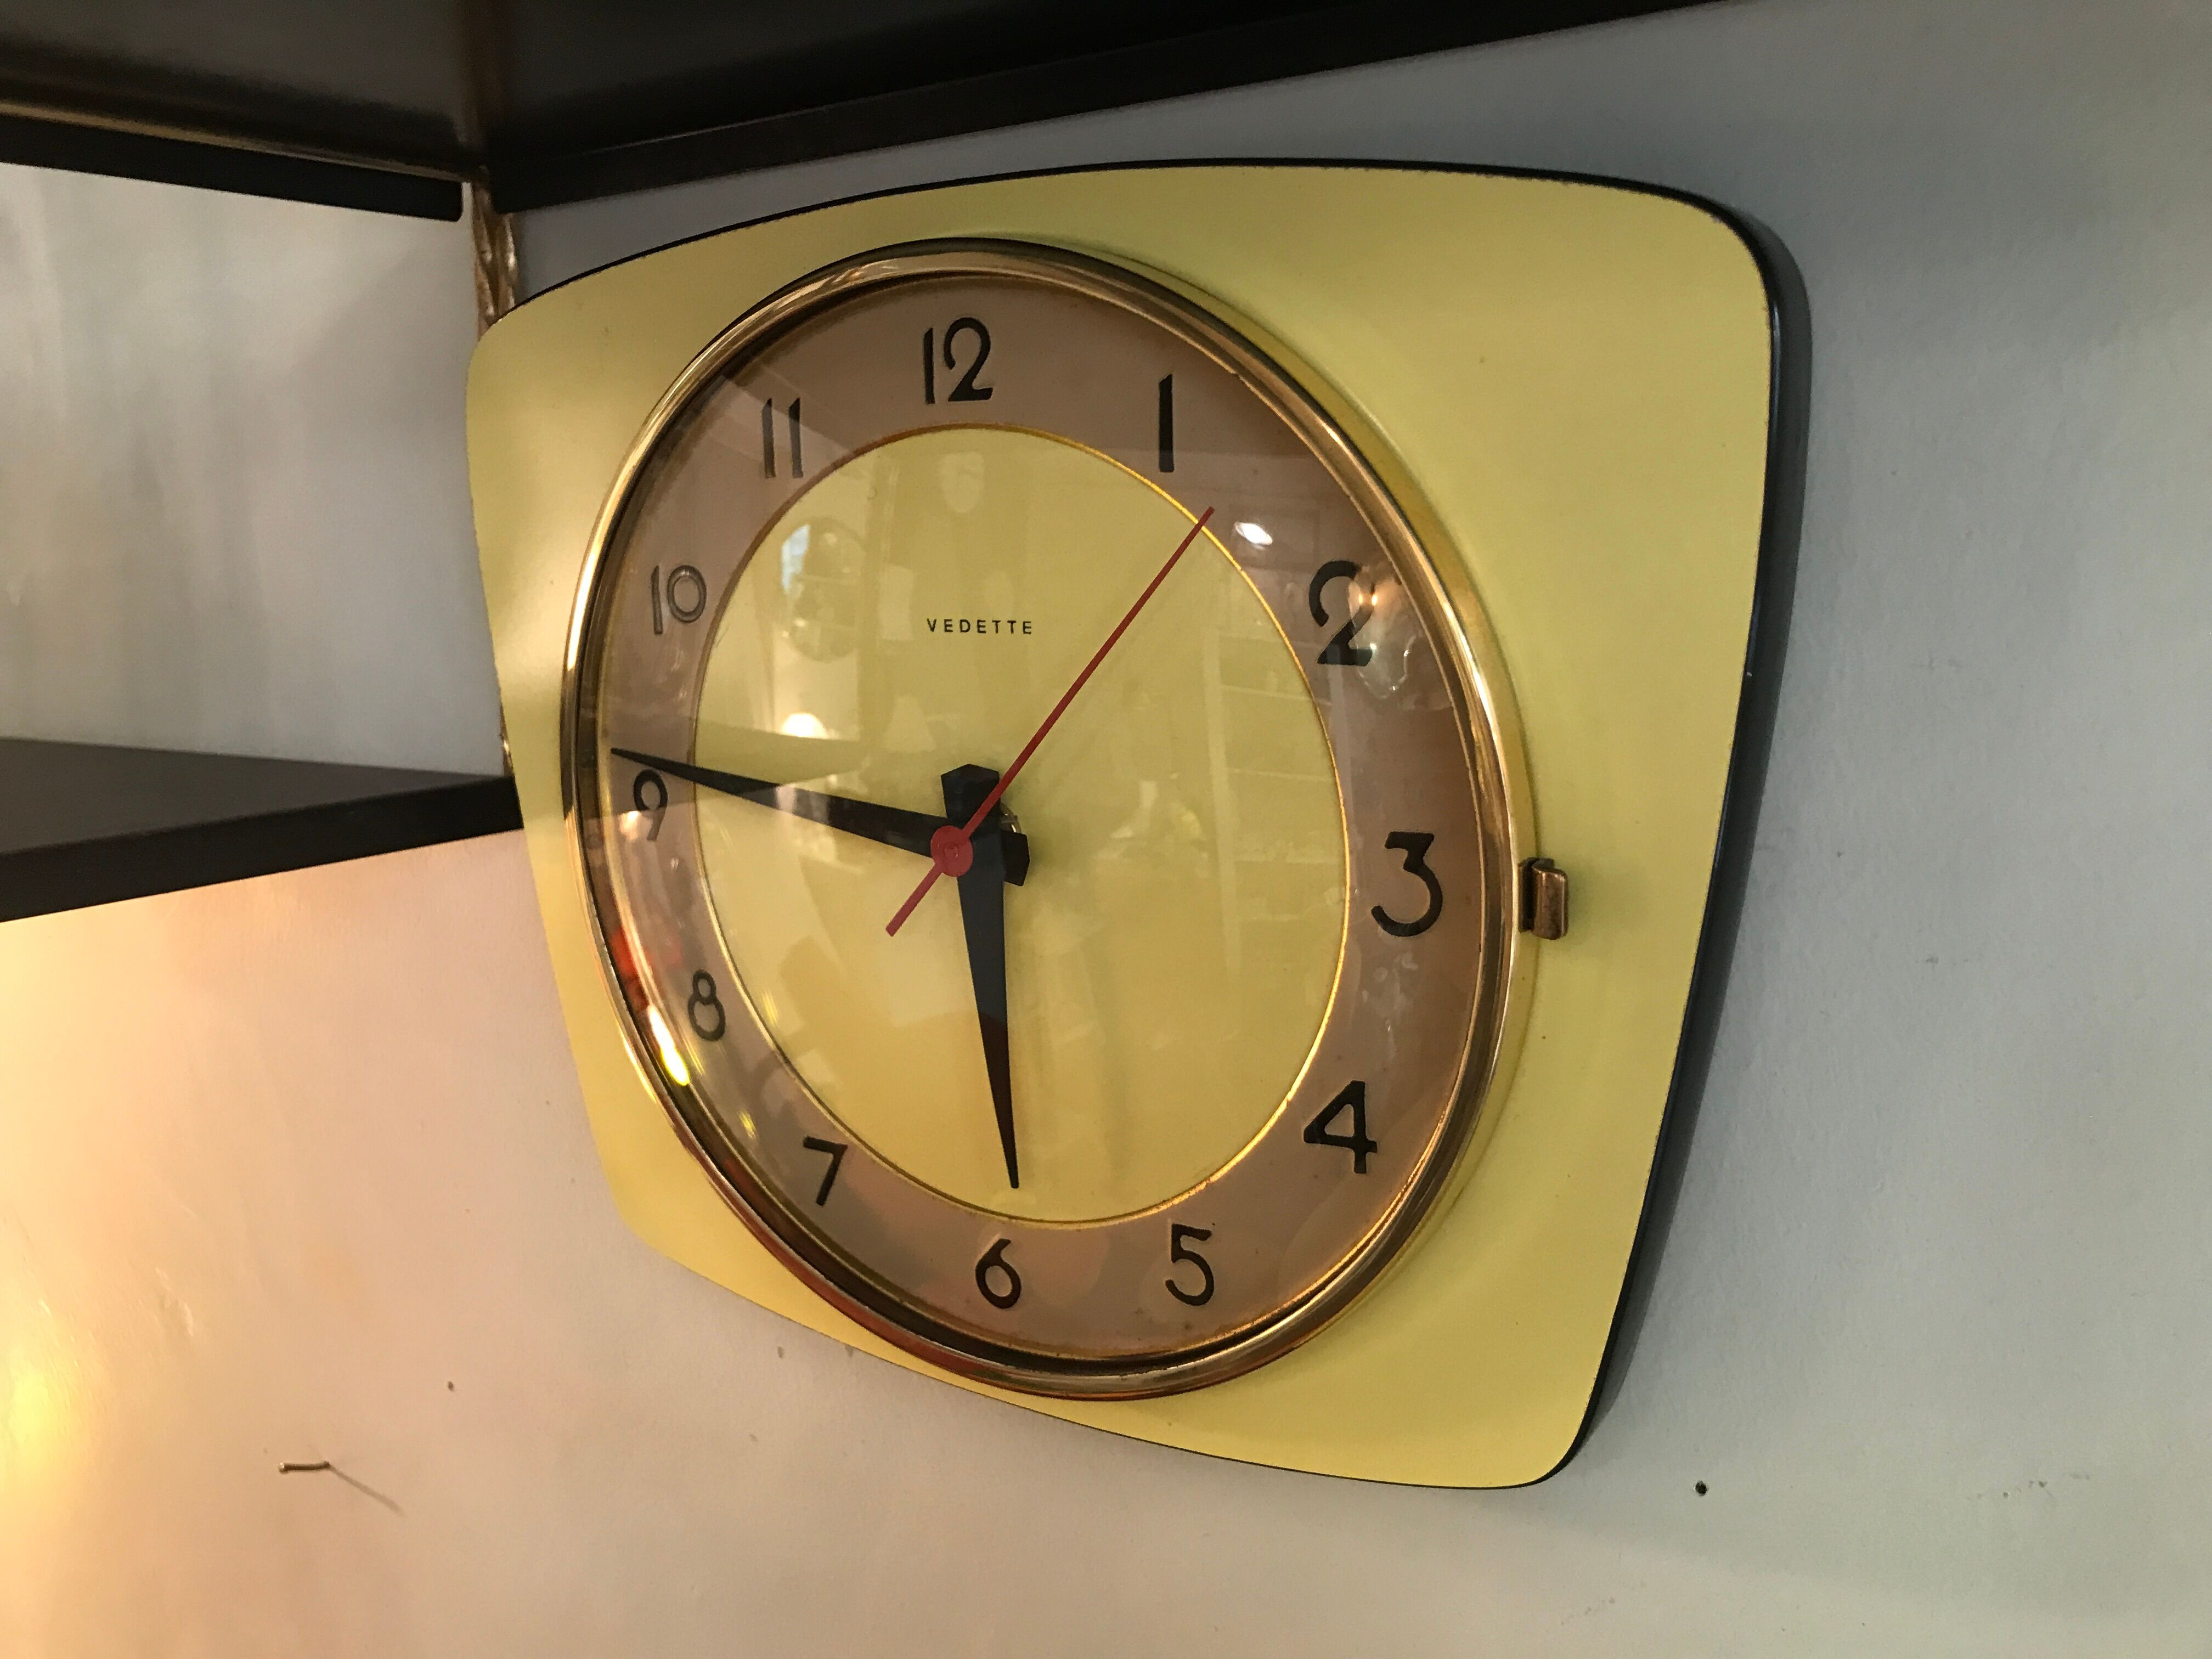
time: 5:46
